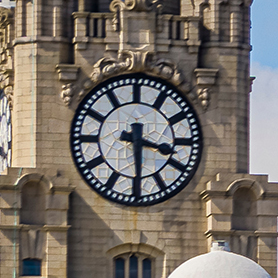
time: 3:29
